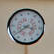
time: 3:38
